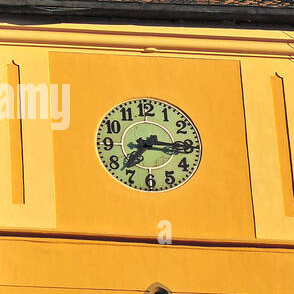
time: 7:15
